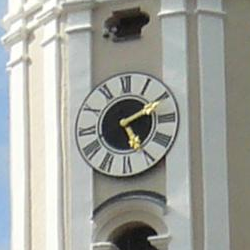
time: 5:10
